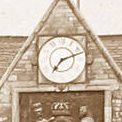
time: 7:12
